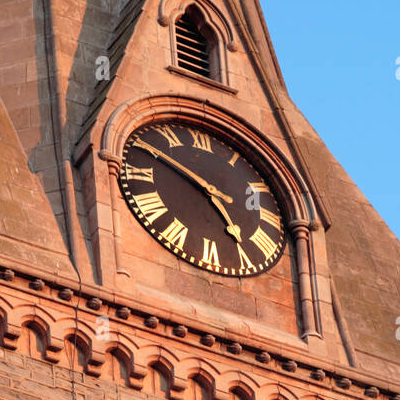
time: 4:49
